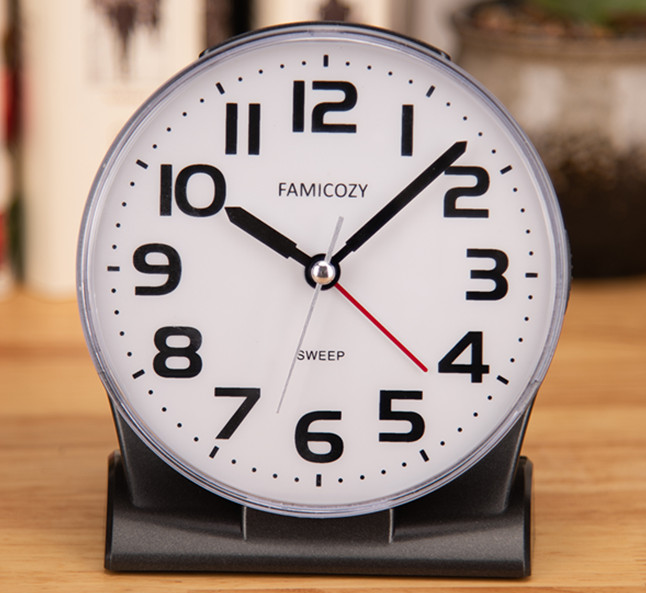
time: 10:07
